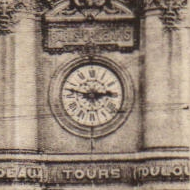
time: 2:47
